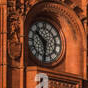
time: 10:30
